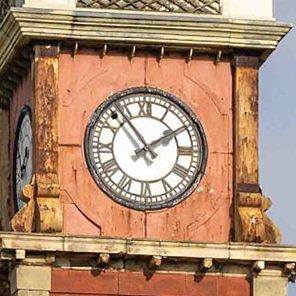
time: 1:53
